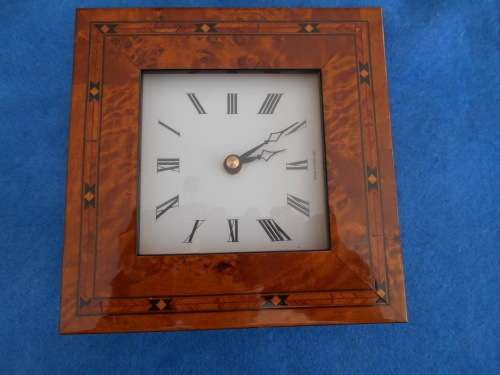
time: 2:09
